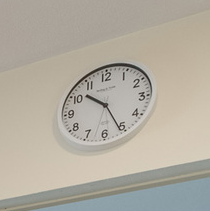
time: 10:25
